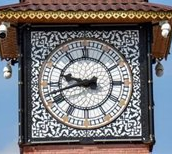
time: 9:42
